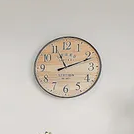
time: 11:11
